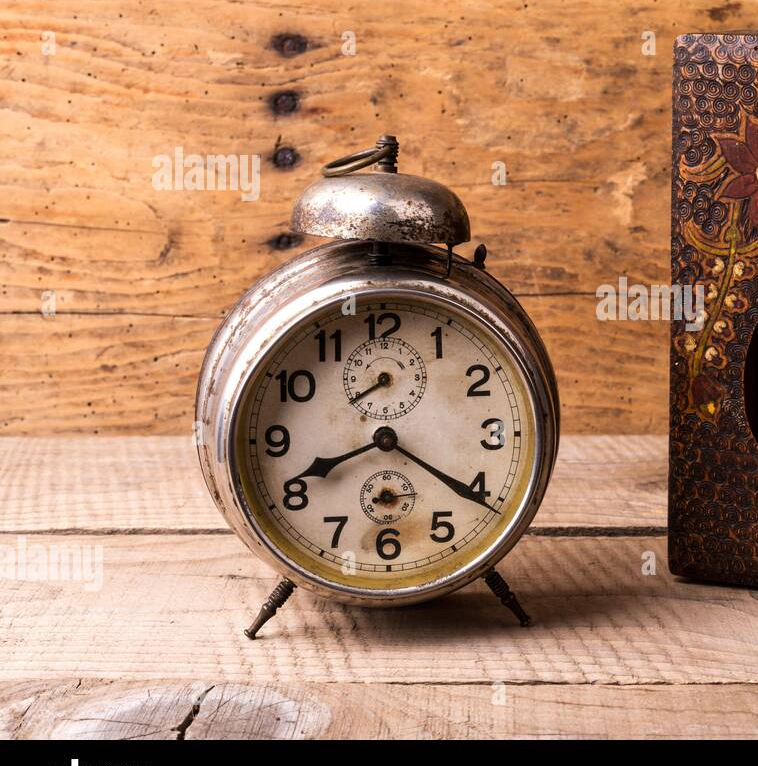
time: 8:20
